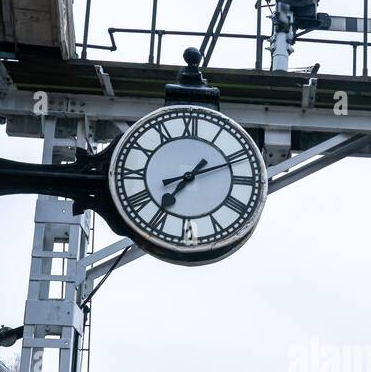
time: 7:11
